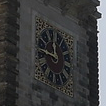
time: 11:46
